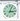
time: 3:04
